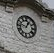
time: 12:47
